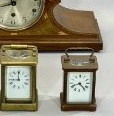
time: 8:21
